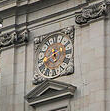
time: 11:40
